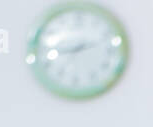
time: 8:12
